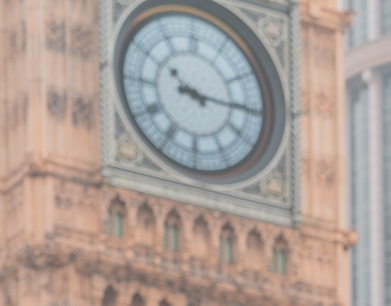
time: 10:15
